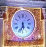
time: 5:33
